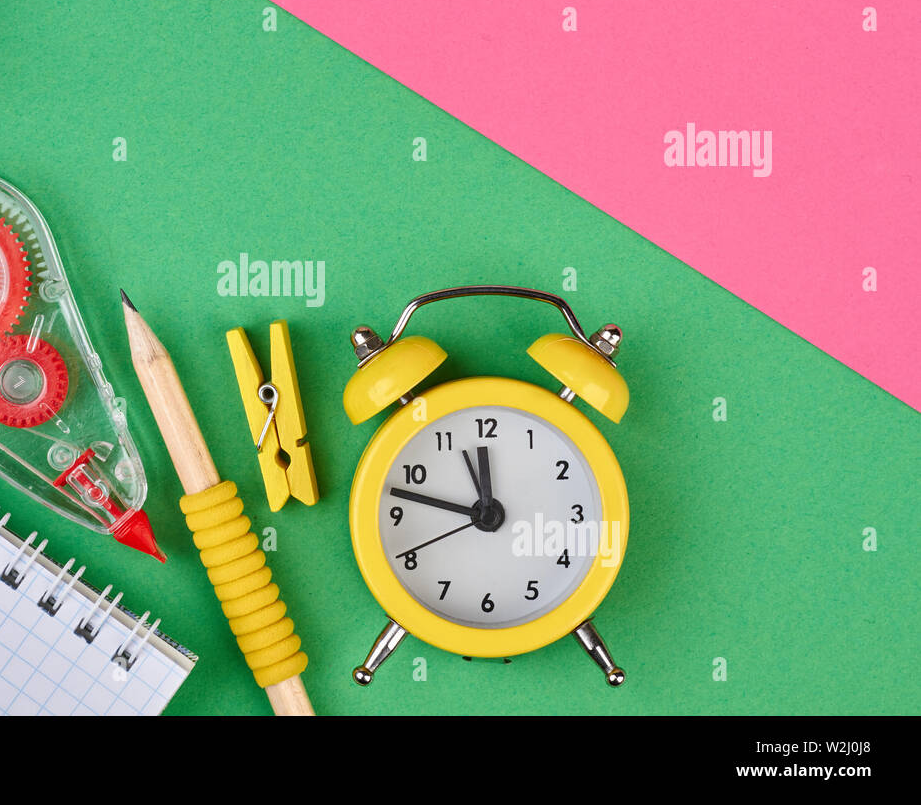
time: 11:47
